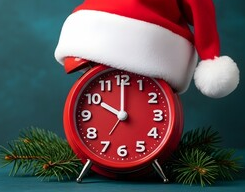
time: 10:00
